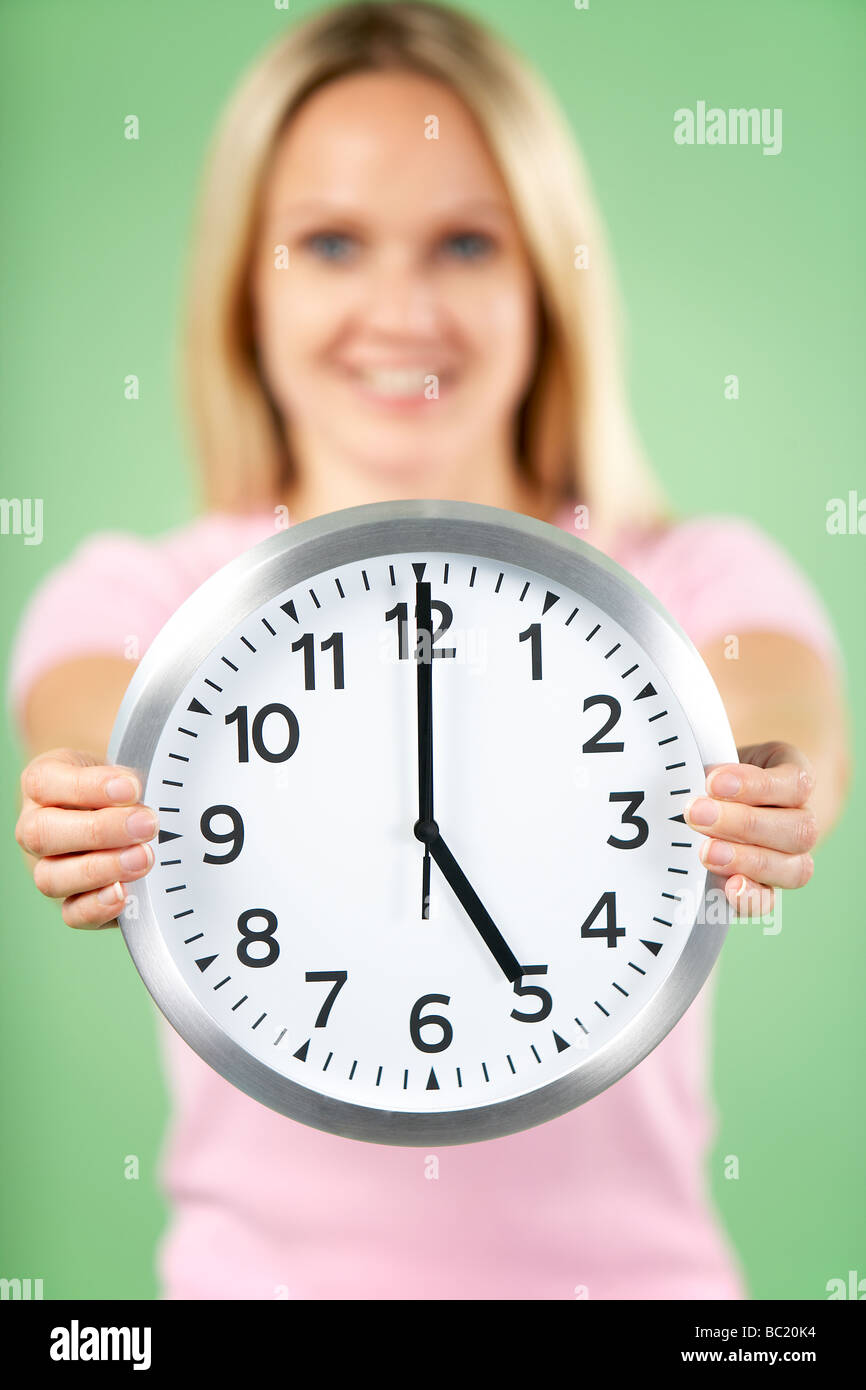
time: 5:00
